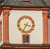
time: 3:35
